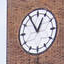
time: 12:54
